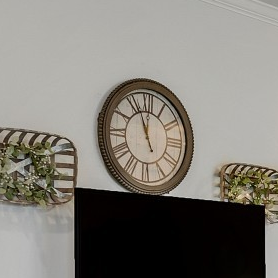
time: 11:56
